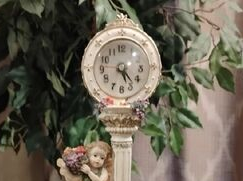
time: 5:22
